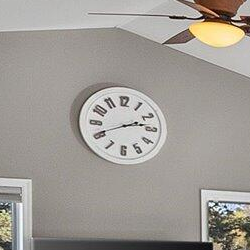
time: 2:40
